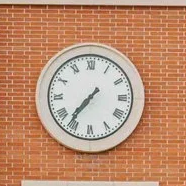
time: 7:36
